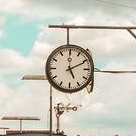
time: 5:10
